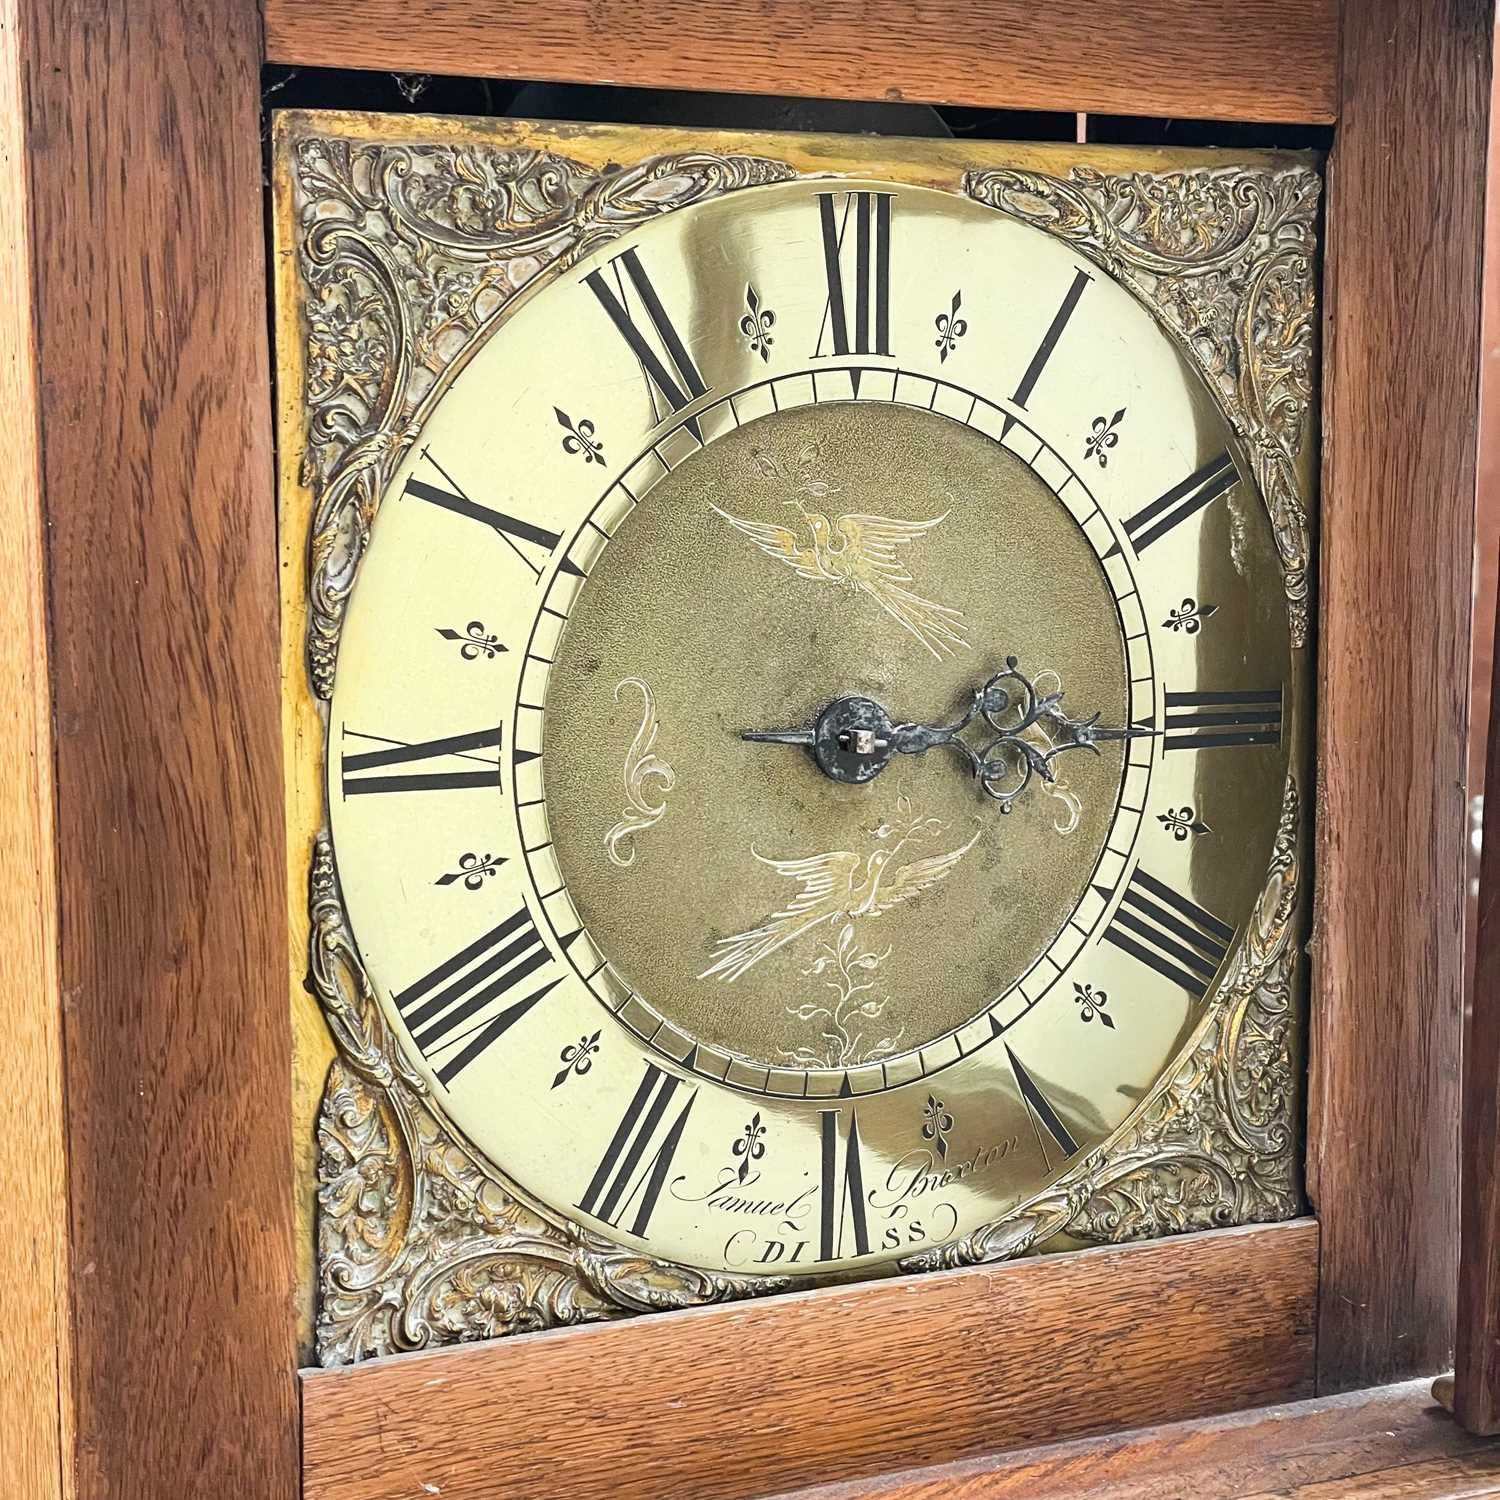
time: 3:14
